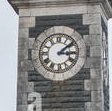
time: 3:08
